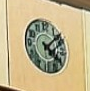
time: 4:08
